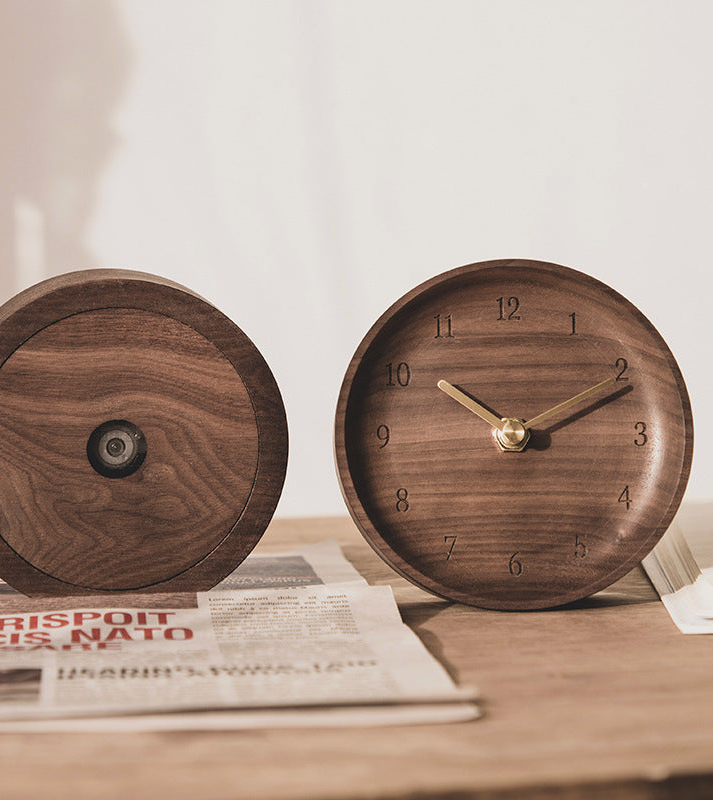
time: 10:11
